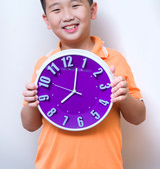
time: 8:02
